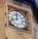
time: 11:41
